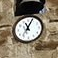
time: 11:04
